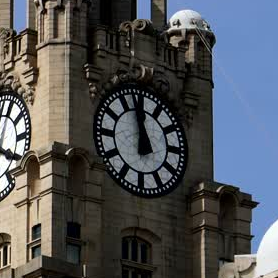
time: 11:57
